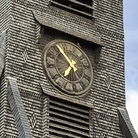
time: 6:54
